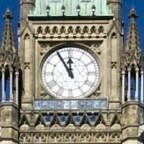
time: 11:54
